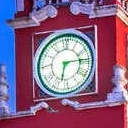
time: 6:14
